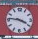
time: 3:46
